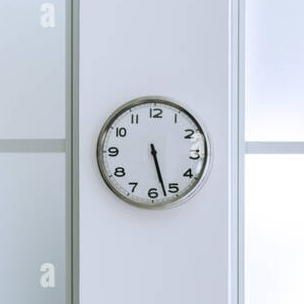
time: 5:27
